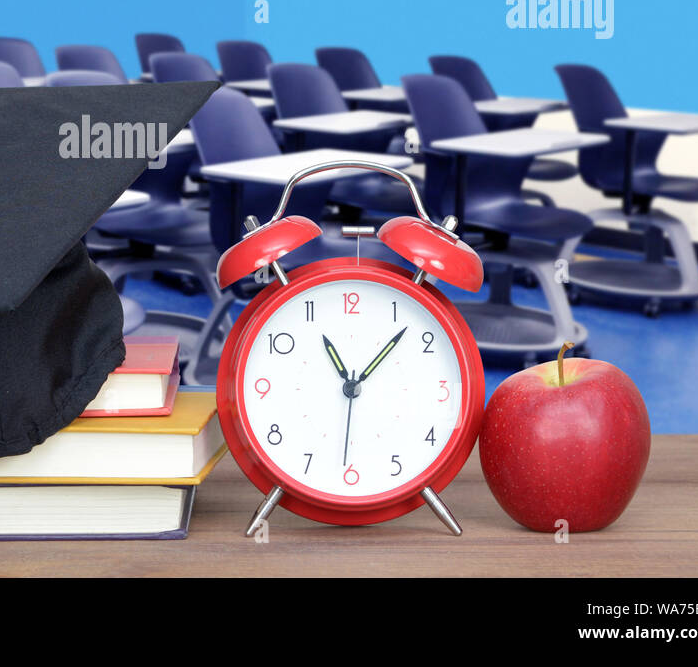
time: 11:07
